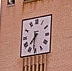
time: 7:31
